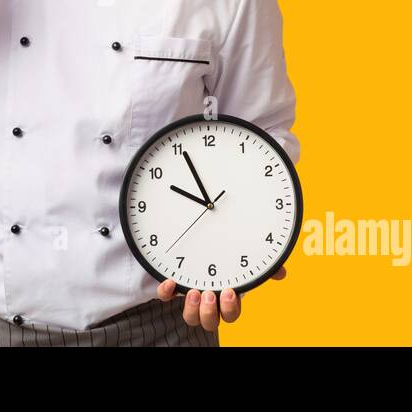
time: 9:55
